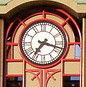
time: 7:17
